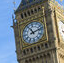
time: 11:12
